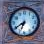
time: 6:39
